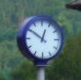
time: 12:50
